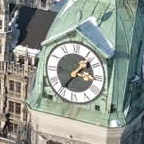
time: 1:36
